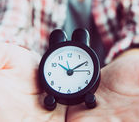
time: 10:14
